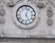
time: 5:03
